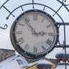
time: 2:53
